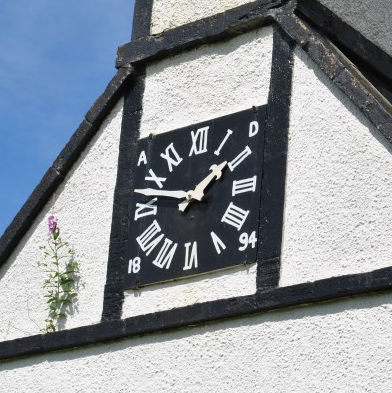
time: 1:47
